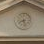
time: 8:27
